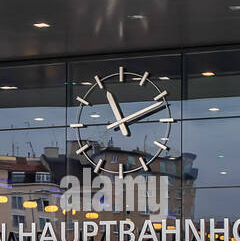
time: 11:11
